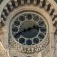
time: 2:40
